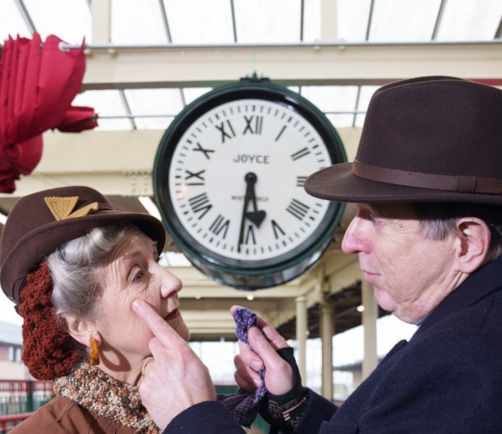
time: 5:30
